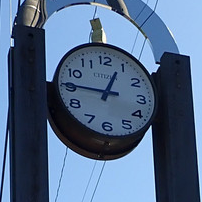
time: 12:45
